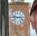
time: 2:46
